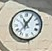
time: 11:05
